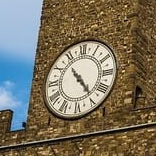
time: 4:23
